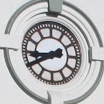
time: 8:40
